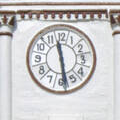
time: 11:28
